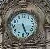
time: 5:26
